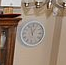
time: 12:57
